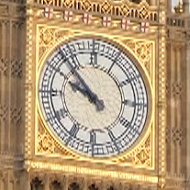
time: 9:52
